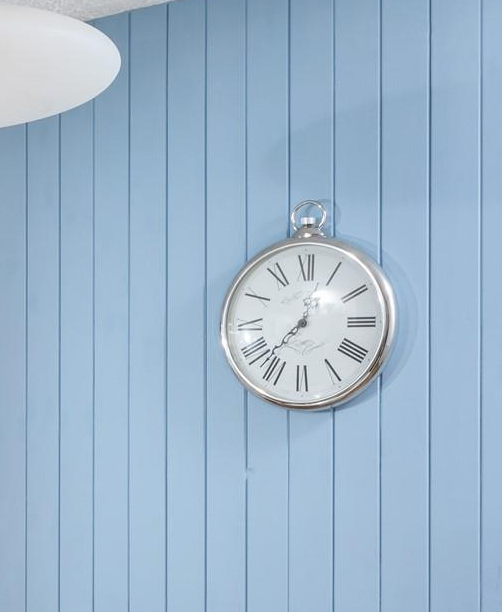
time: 12:37
